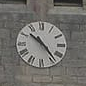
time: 10:23
